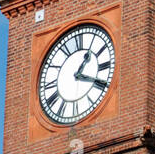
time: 1:18
